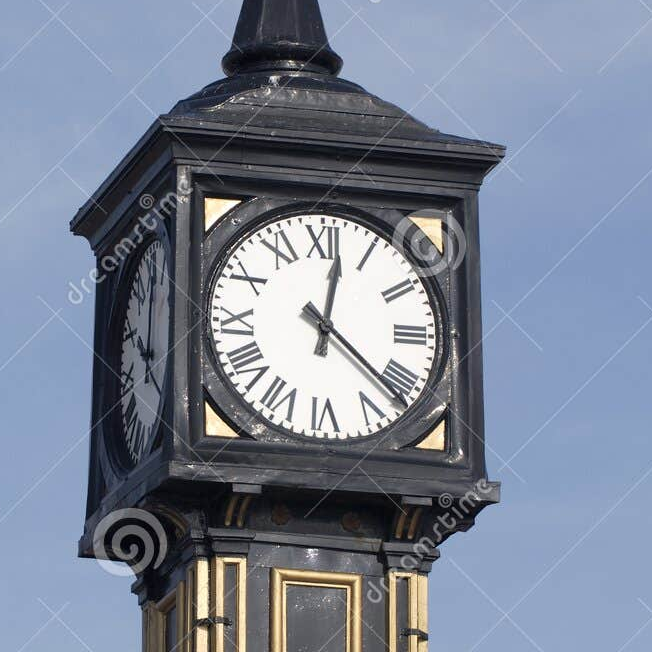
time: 12:21
